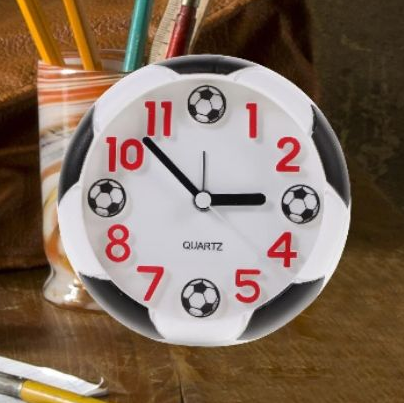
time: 2:52
